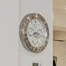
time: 8:16
